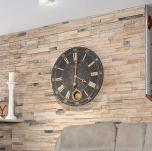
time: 4:01
